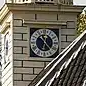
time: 12:23
